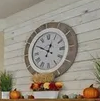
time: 12:49
